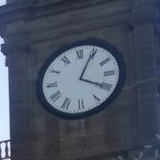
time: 4:04
